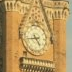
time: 4:42
